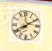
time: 8:09
